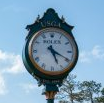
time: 5:19
